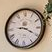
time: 9:19
